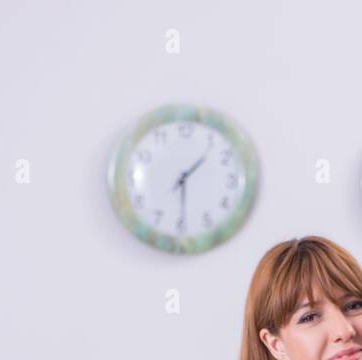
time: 1:29
